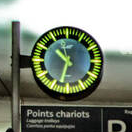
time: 10:32
